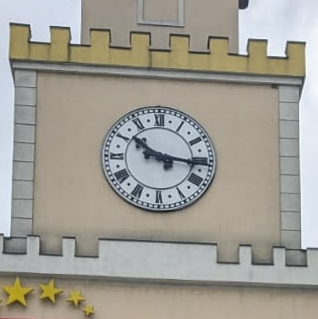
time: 10:16
